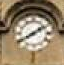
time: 1:40
